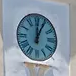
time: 12:04
